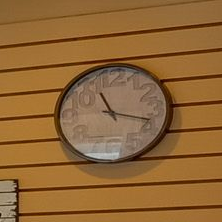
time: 11:18
